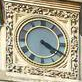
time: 4:19
